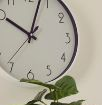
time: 10:03
